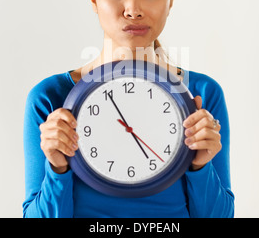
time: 4:55
